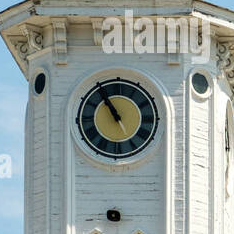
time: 10:54
